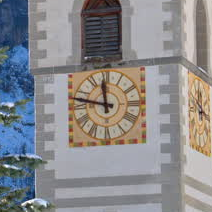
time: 11:47
